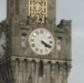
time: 4:19
